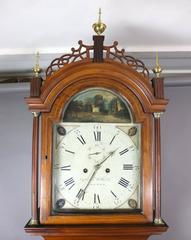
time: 1:35
